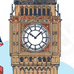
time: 10:07
